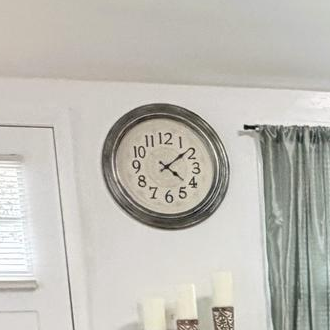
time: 4:08
